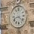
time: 8:21
